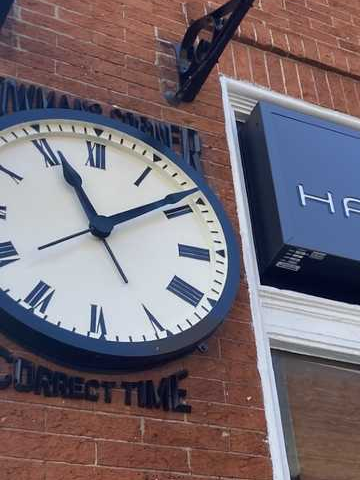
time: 11:08
